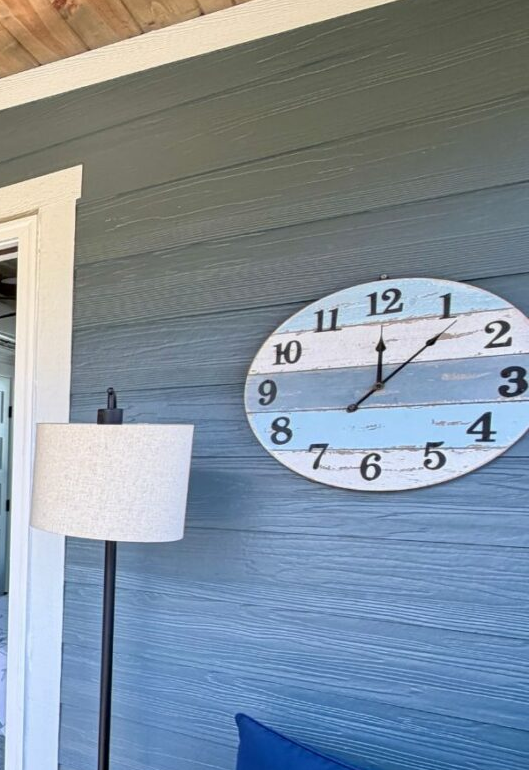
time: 12:06
